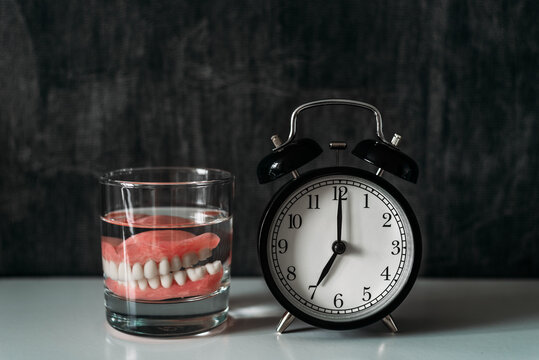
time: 7:00
